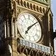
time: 7:08
